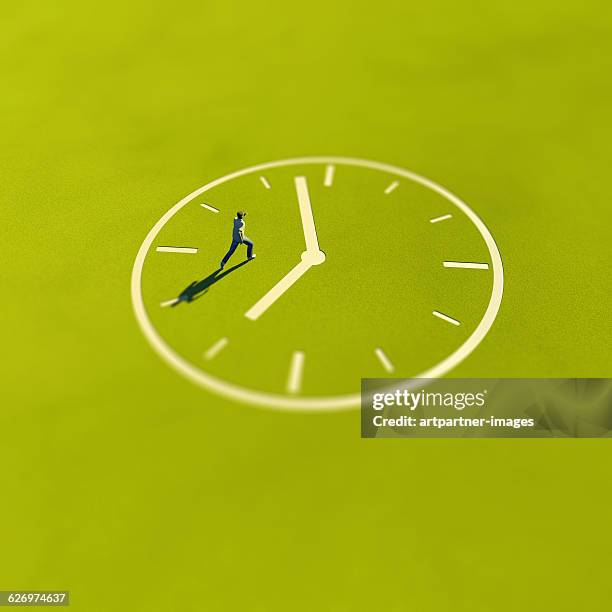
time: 6:57
